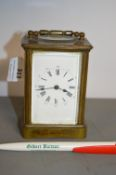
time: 3:43
